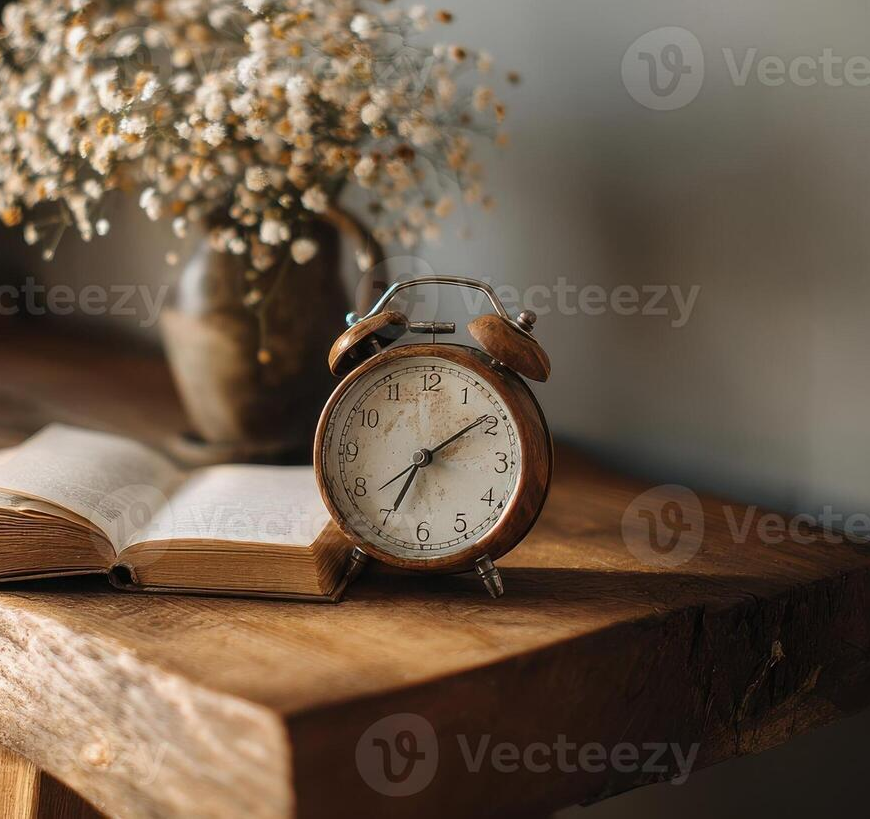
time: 7:09
